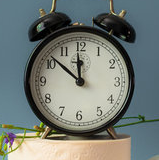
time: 11:51
